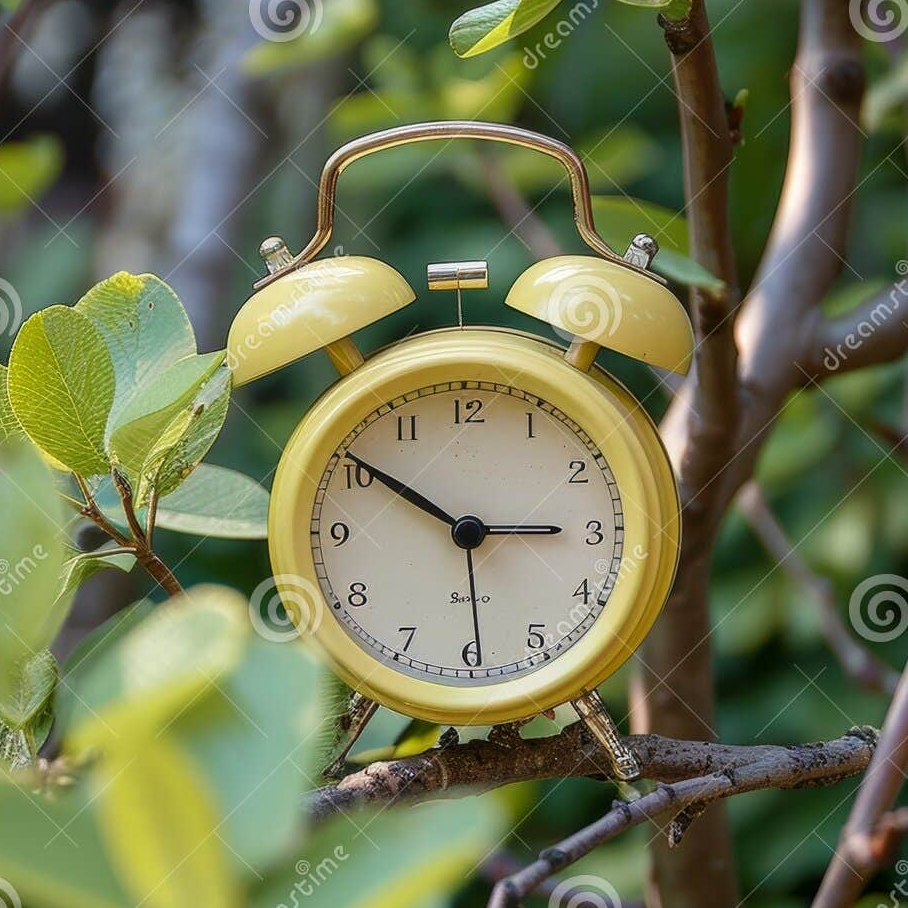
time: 2:50
